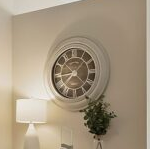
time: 8:36
